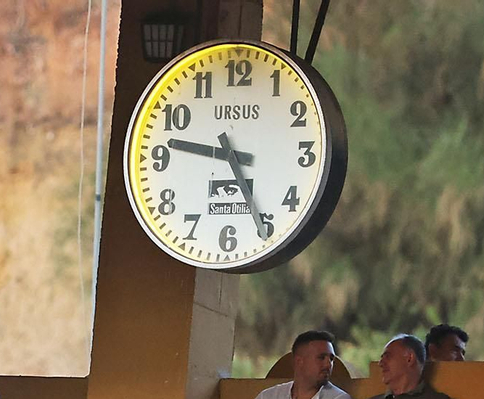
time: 9:25
